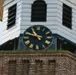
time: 10:47
